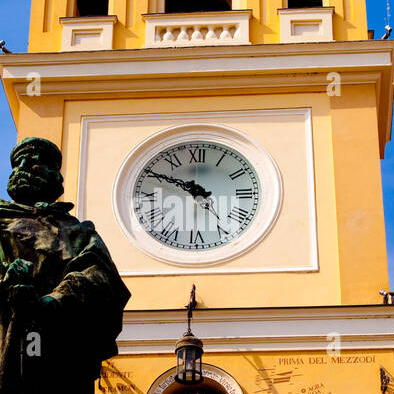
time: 9:49
